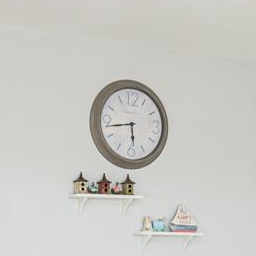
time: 5:43
